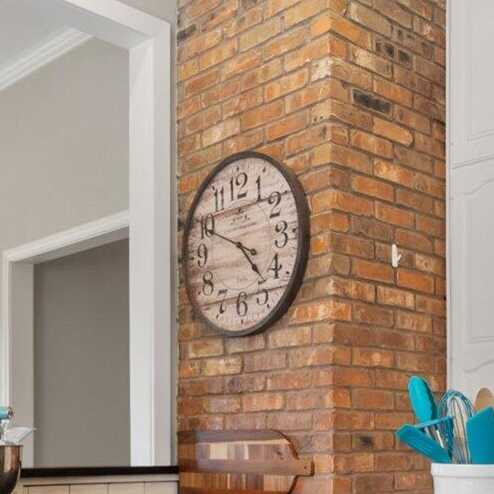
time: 4:49
